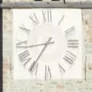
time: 8:35
